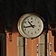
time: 10:43
